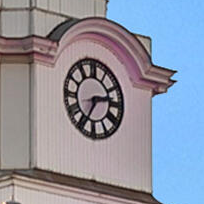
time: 2:34
